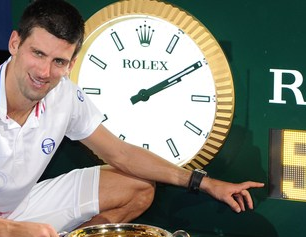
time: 2:09
